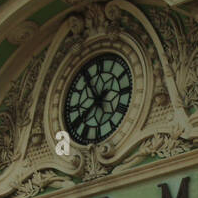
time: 7:54
